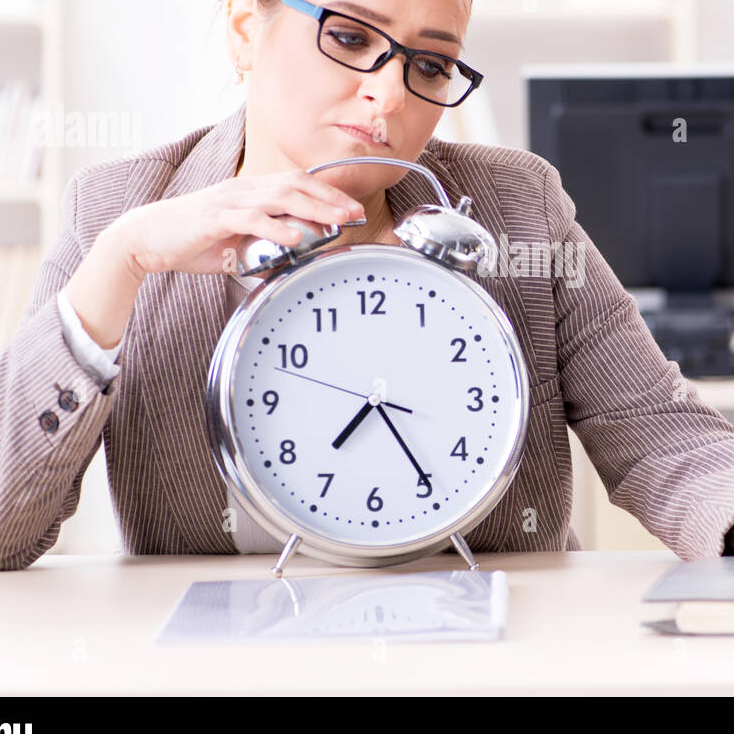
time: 7:24
